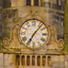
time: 7:07
